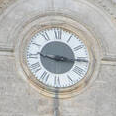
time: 9:16
